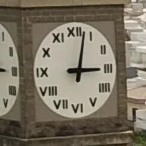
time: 3:02
